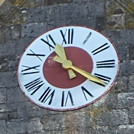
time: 11:20
